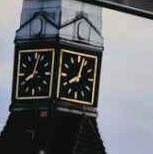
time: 8:02
